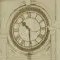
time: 10:29
